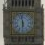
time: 5:58
